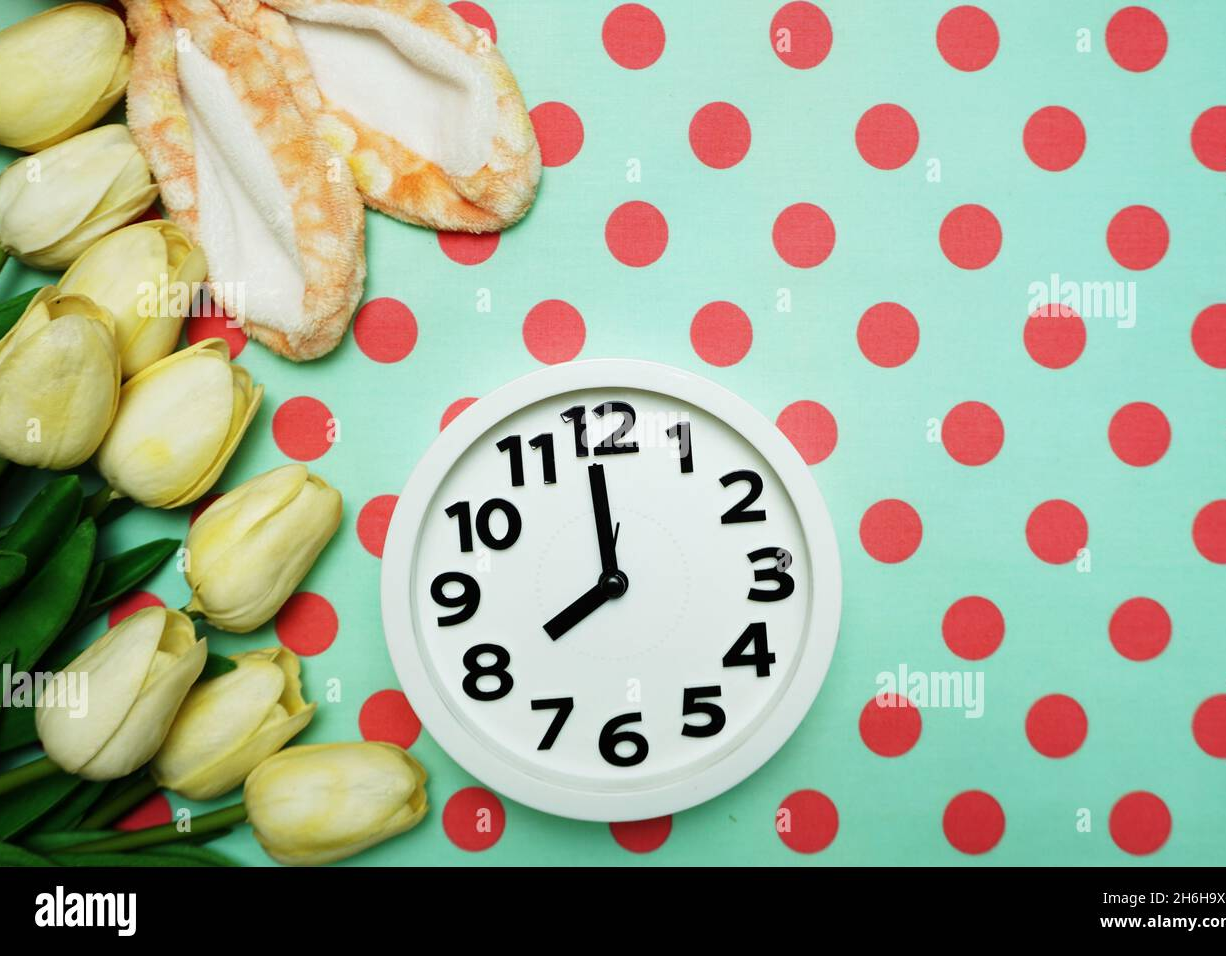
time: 7:59
